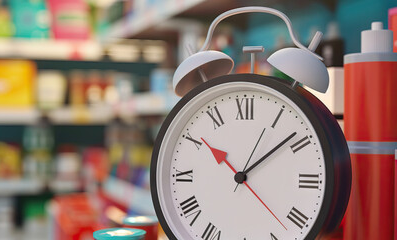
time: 10:08
